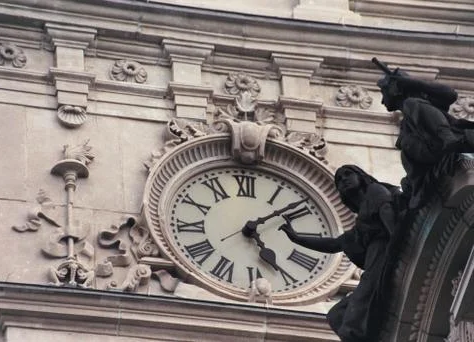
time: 5:08
